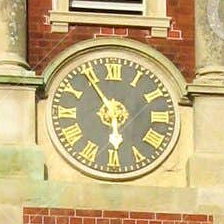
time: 5:54
